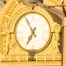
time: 6:55
